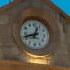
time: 12:42
